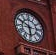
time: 5:49
